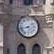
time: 4:42
